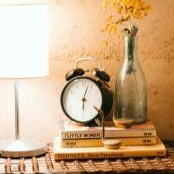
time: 6:03
